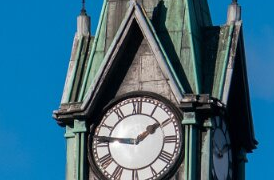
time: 1:46
